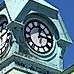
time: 12:14
